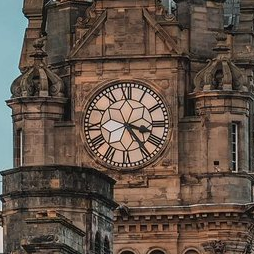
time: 3:23
